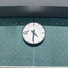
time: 4:30
